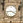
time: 3:43
